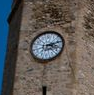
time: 3:12
